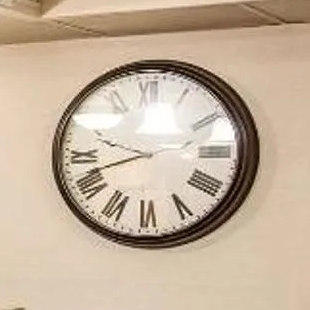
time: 9:42
